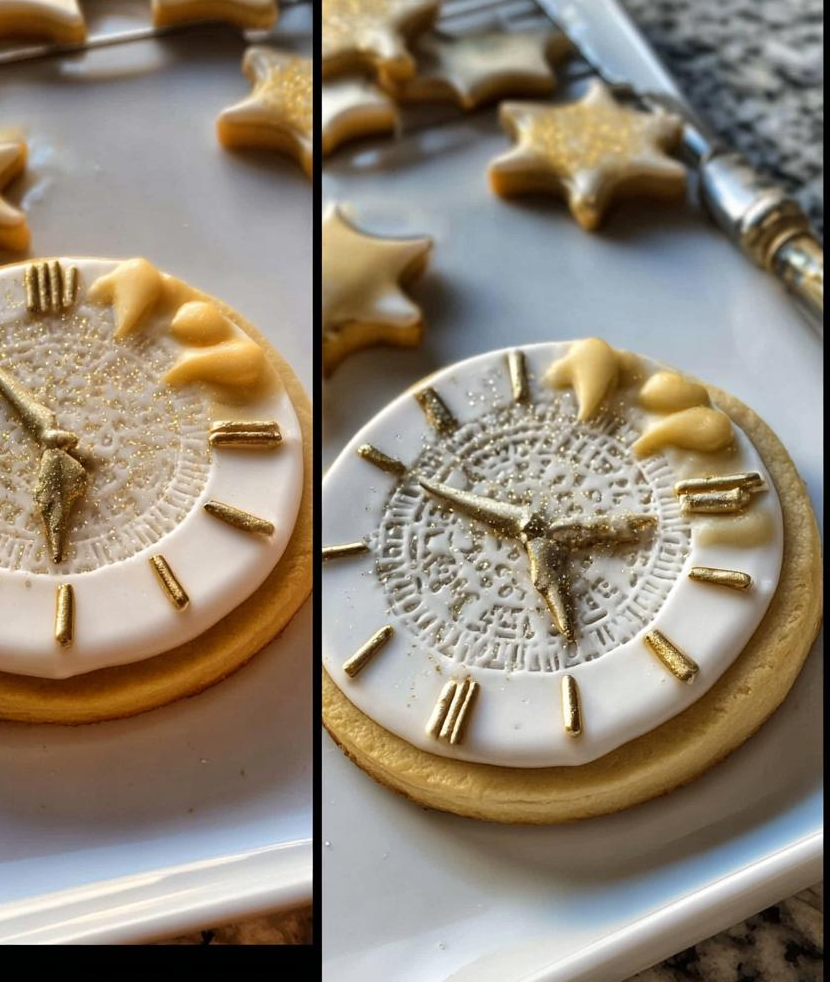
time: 5:49
